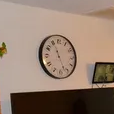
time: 11:26
